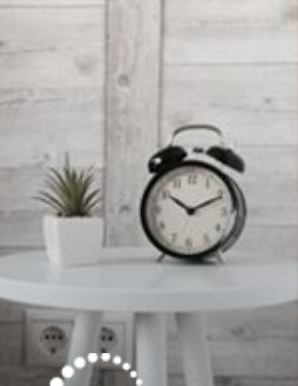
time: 10:11
